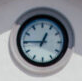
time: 12:45
